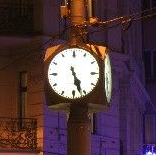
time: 5:26
